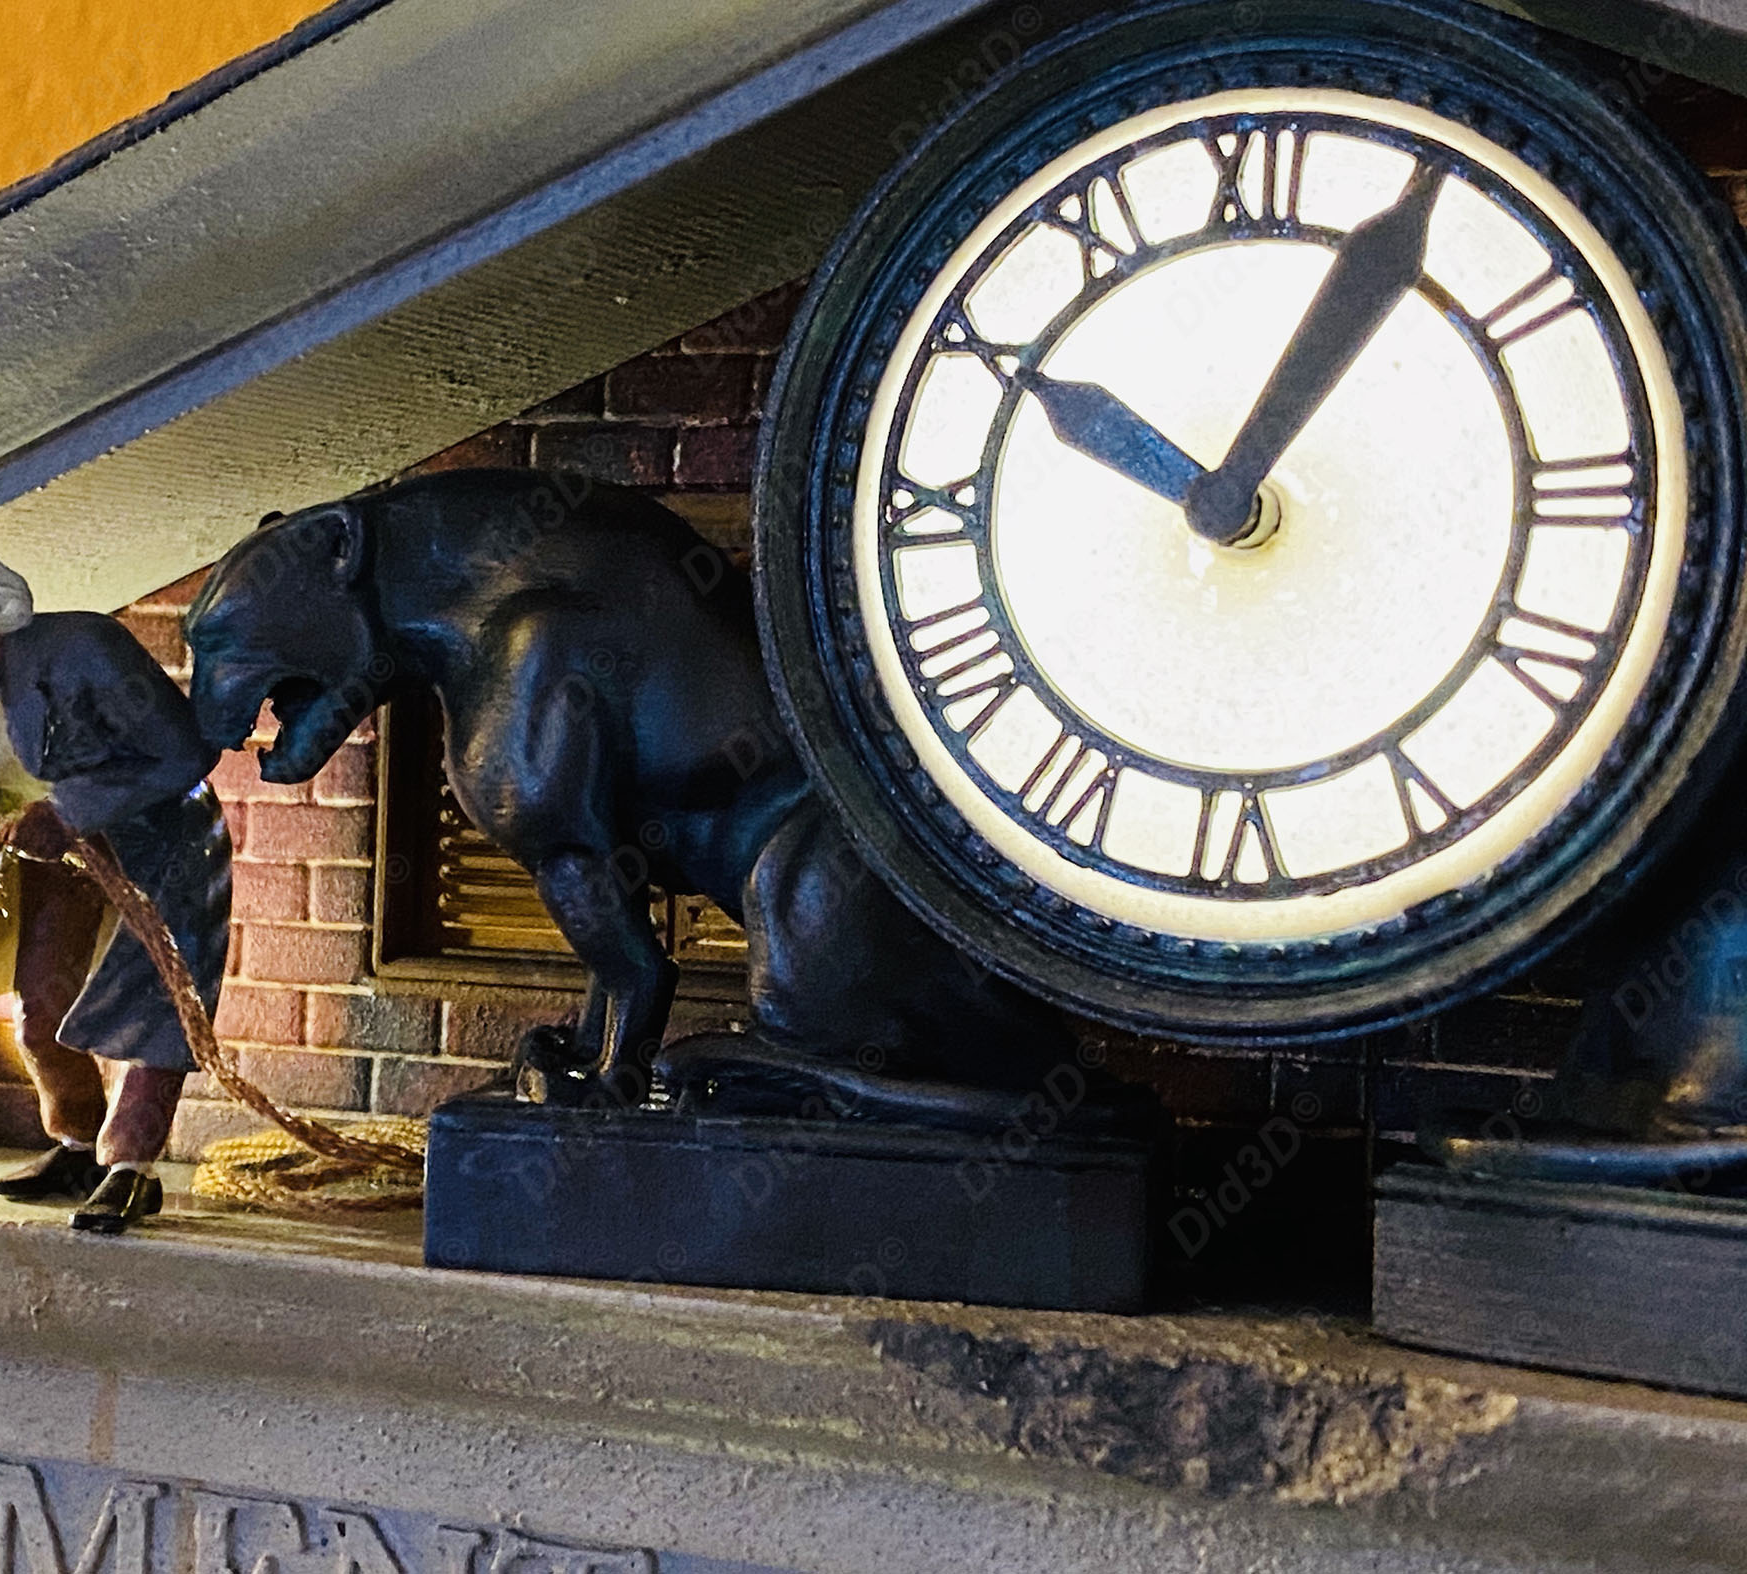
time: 10:05
